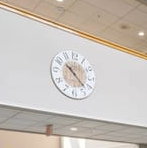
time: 10:22
